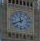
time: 11:40
